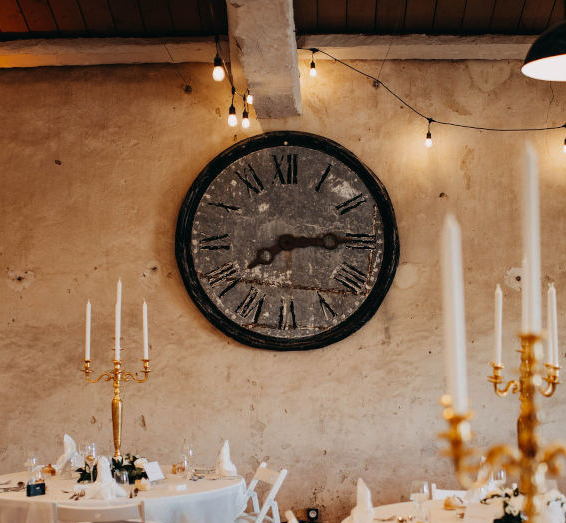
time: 8:14
